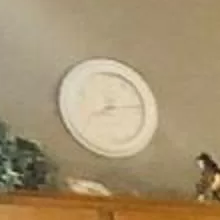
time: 8:14
